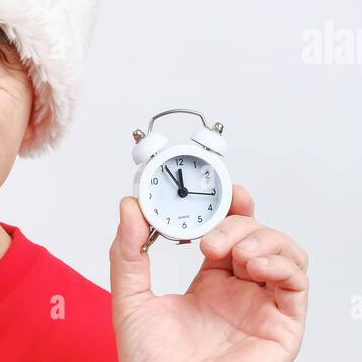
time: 12:16
